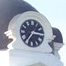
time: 7:15
